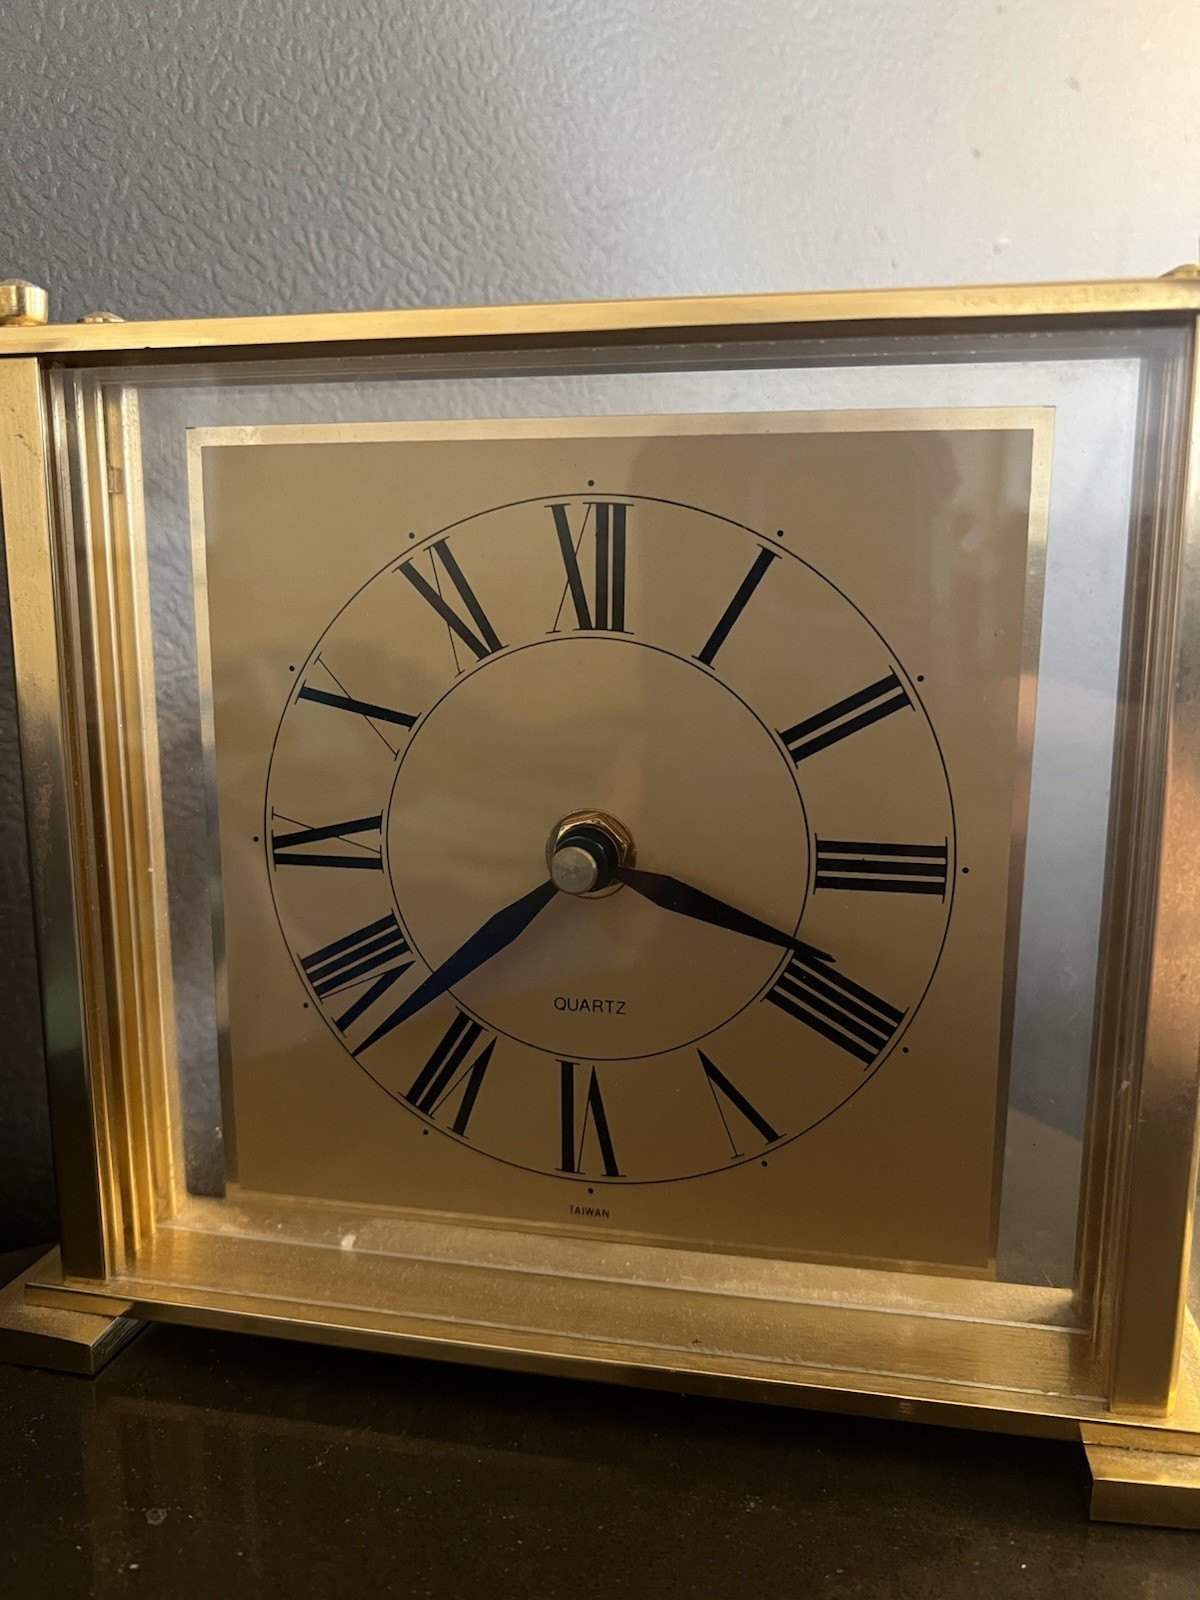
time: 3:37
